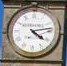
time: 4:13
